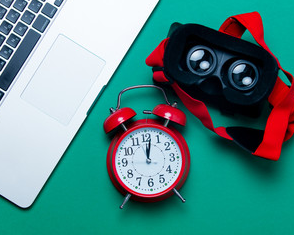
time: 12:01
